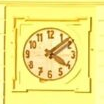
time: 4:08
